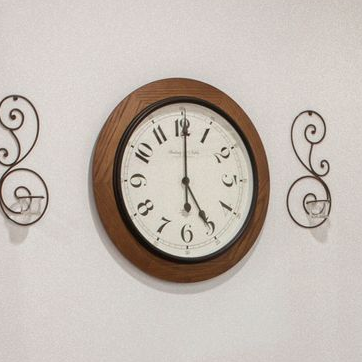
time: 5:00
